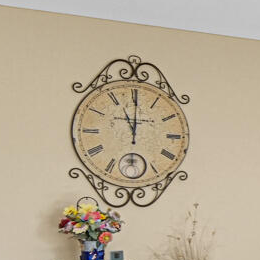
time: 11:00
